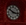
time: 10:17
